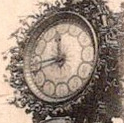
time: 11:42
